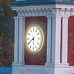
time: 5:40
